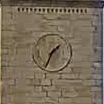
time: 1:33
